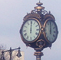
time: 12:00
